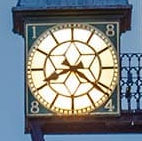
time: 8:21
